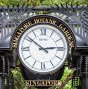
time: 2:51
